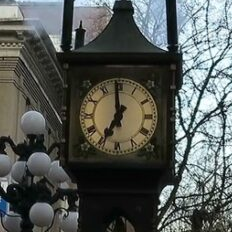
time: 6:58
